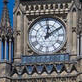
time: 12:09
